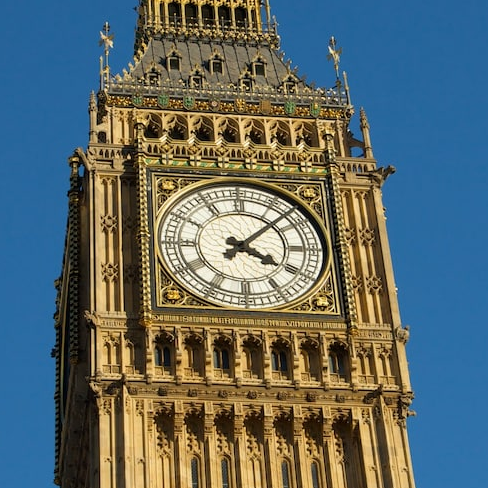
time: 4:07
